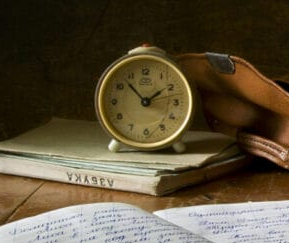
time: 1:52
